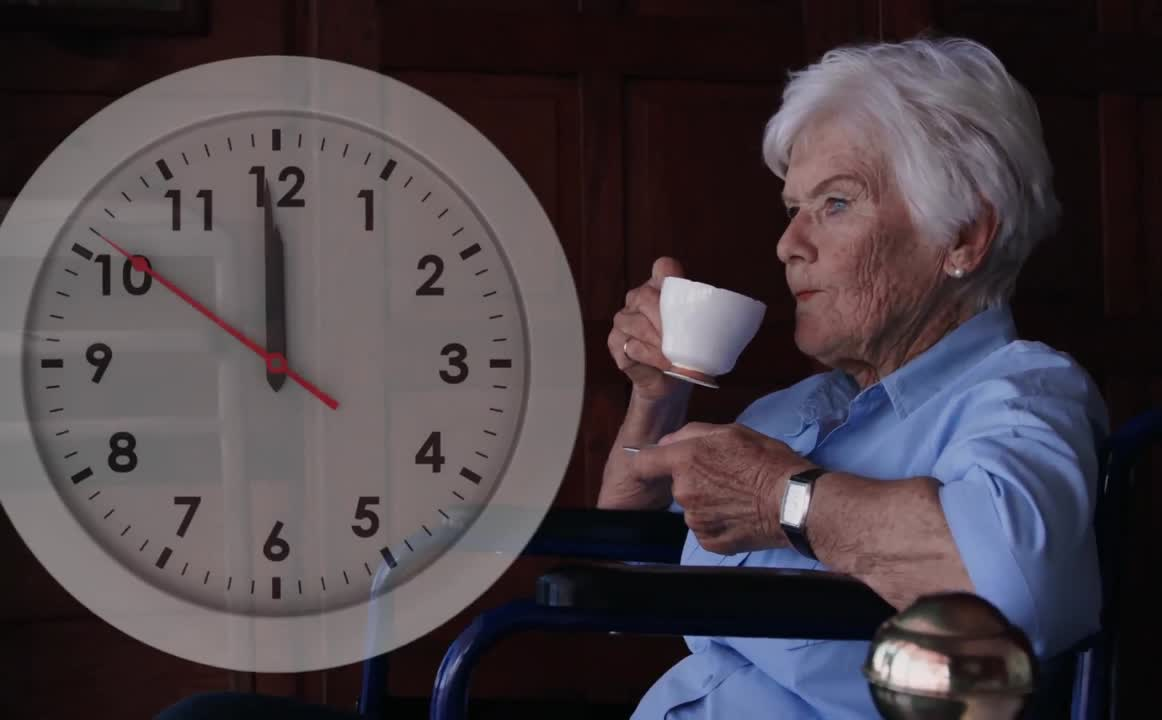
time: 11:59
